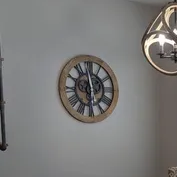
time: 5:59
